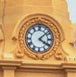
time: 4:08
